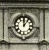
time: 12:06
